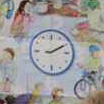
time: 2:10
